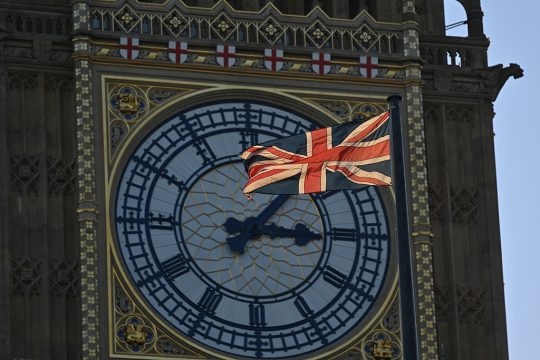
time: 1:15
